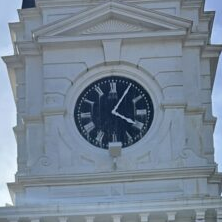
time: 4:05
